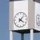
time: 4:07
